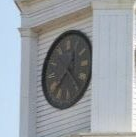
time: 7:23
